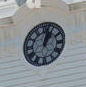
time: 1:02
